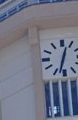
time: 12:32
